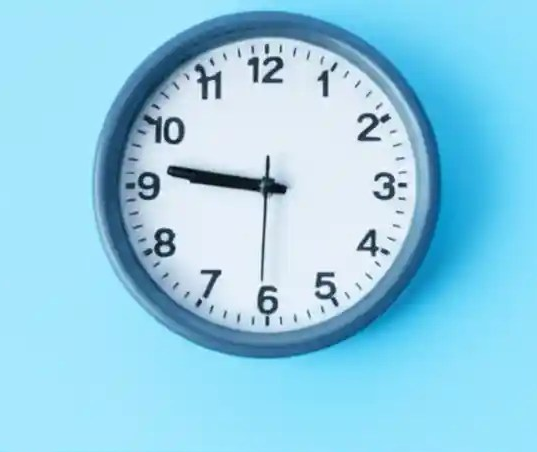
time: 8:46
